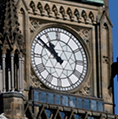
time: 10:51
